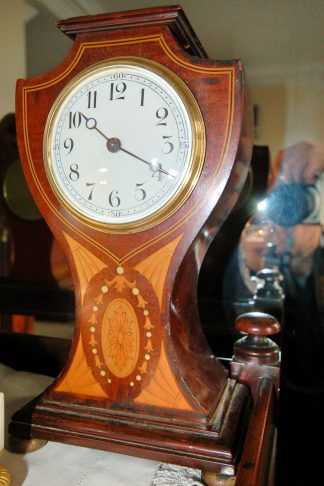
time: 10:19
